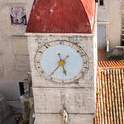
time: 5:36
